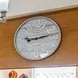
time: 9:13
